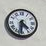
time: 4:31
